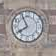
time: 7:55
